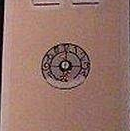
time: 7:15
